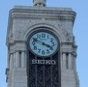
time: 3:48
